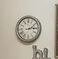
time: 2:14
